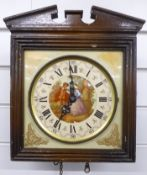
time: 6:59
